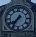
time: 7:36
